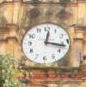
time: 12:16
